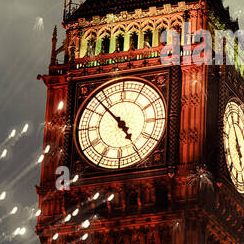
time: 4:52
